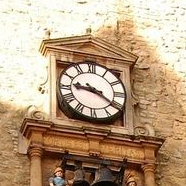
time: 9:20
